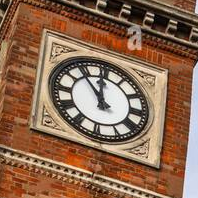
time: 11:53
